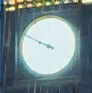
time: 9:49
